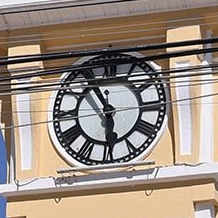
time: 5:55
